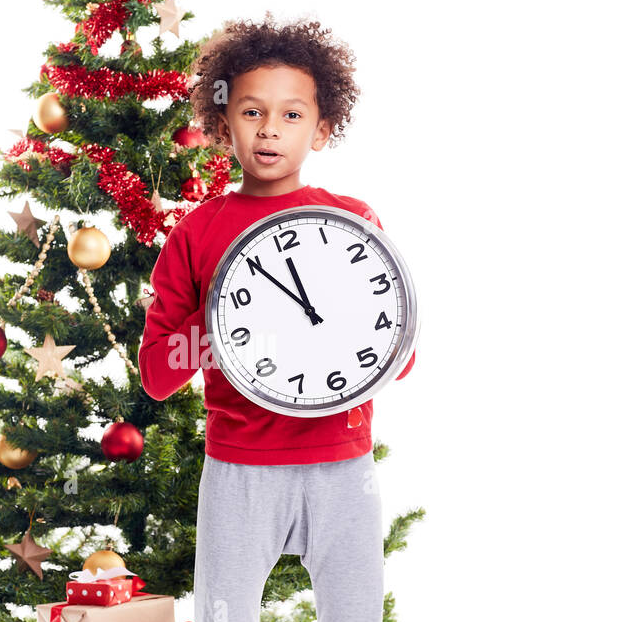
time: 11:54
